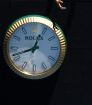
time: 12:42
